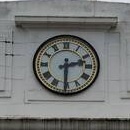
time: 2:30
